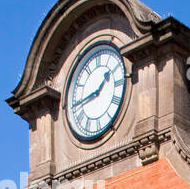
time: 1:44
